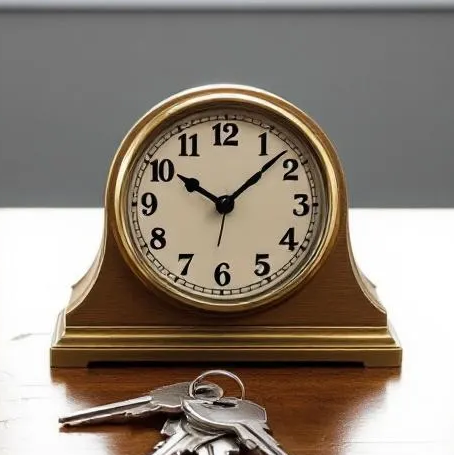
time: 10:07
